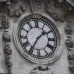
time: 1:35
